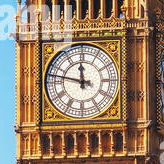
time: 11:47
